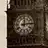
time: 12:13
